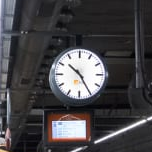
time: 10:24
